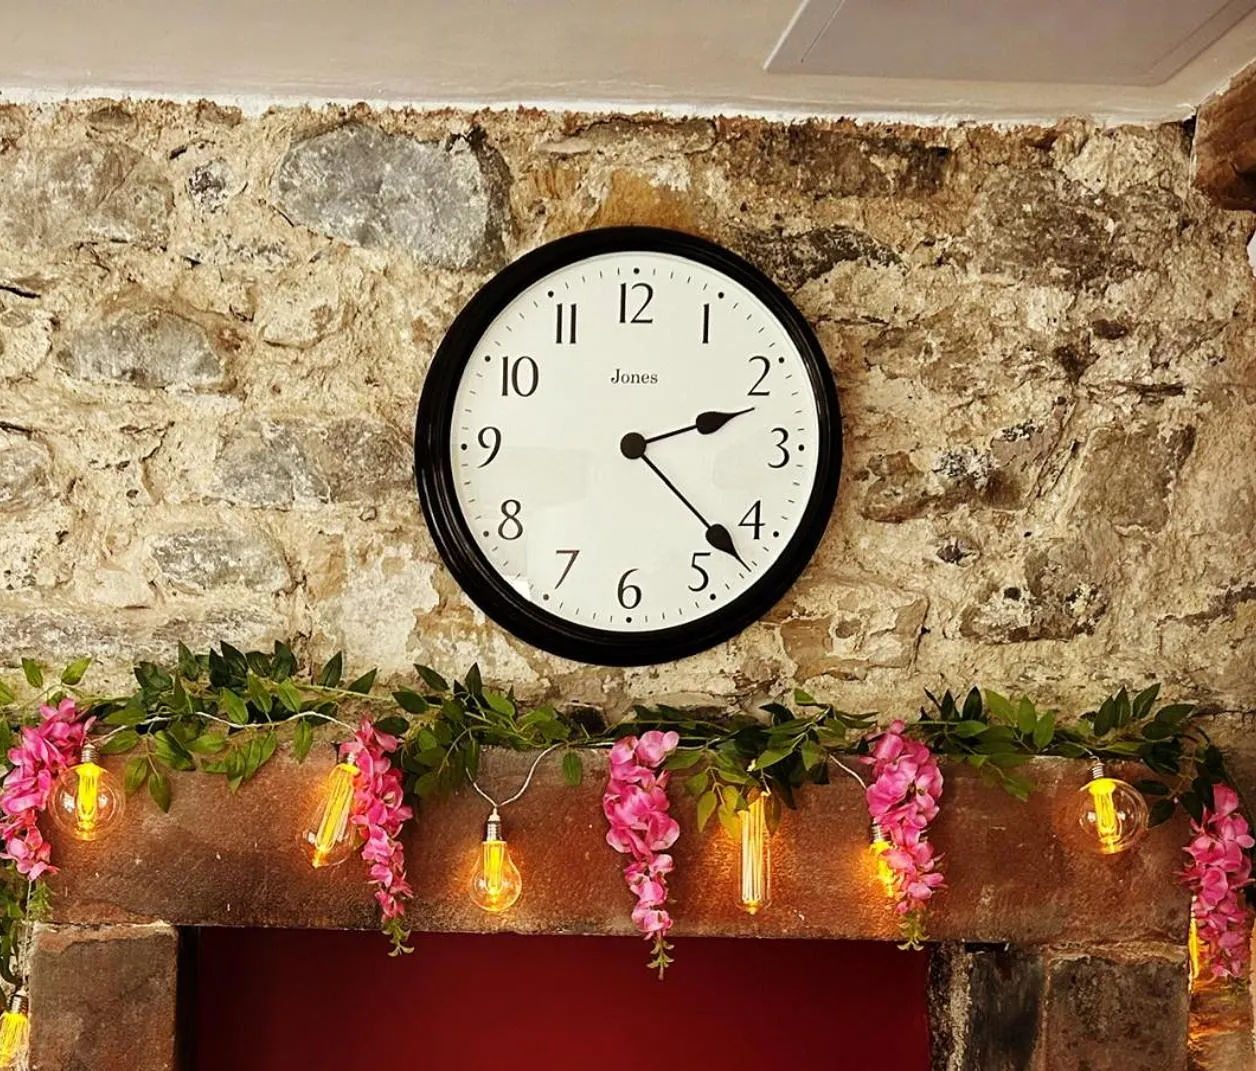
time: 2:22
